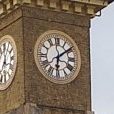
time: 6:08
